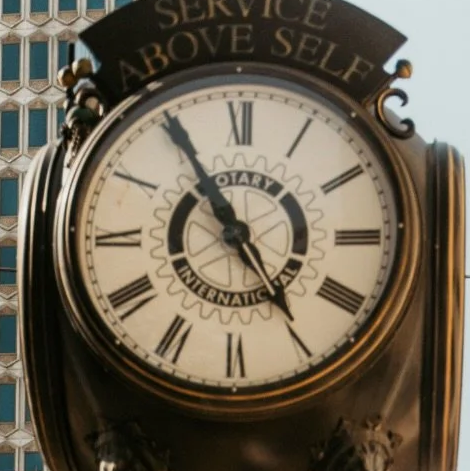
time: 4:54
